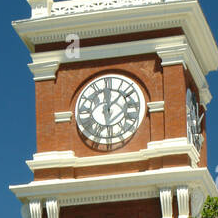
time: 12:07
